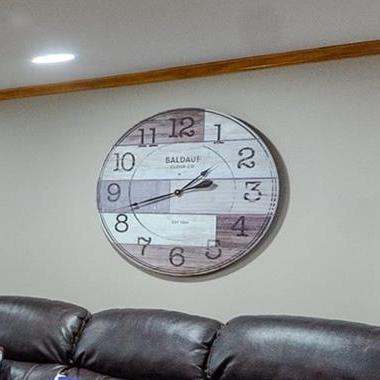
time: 1:42
